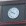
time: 9:52
